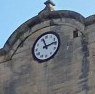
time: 11:13
